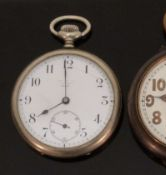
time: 7:59
